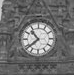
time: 10:38
